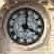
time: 4:01
